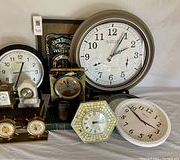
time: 2:04
